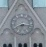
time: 8:16
